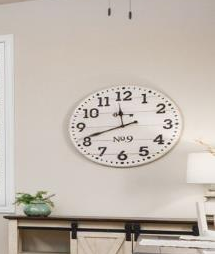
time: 11:41
